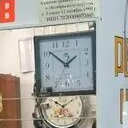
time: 1:51
